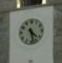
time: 4:27
